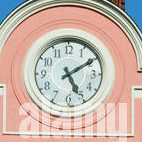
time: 5:09
